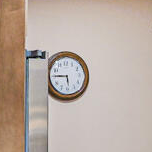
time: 5:45
